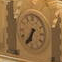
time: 6:34
